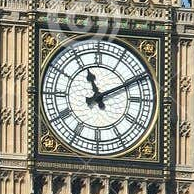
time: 11:10
